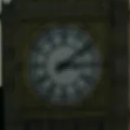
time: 3:09
